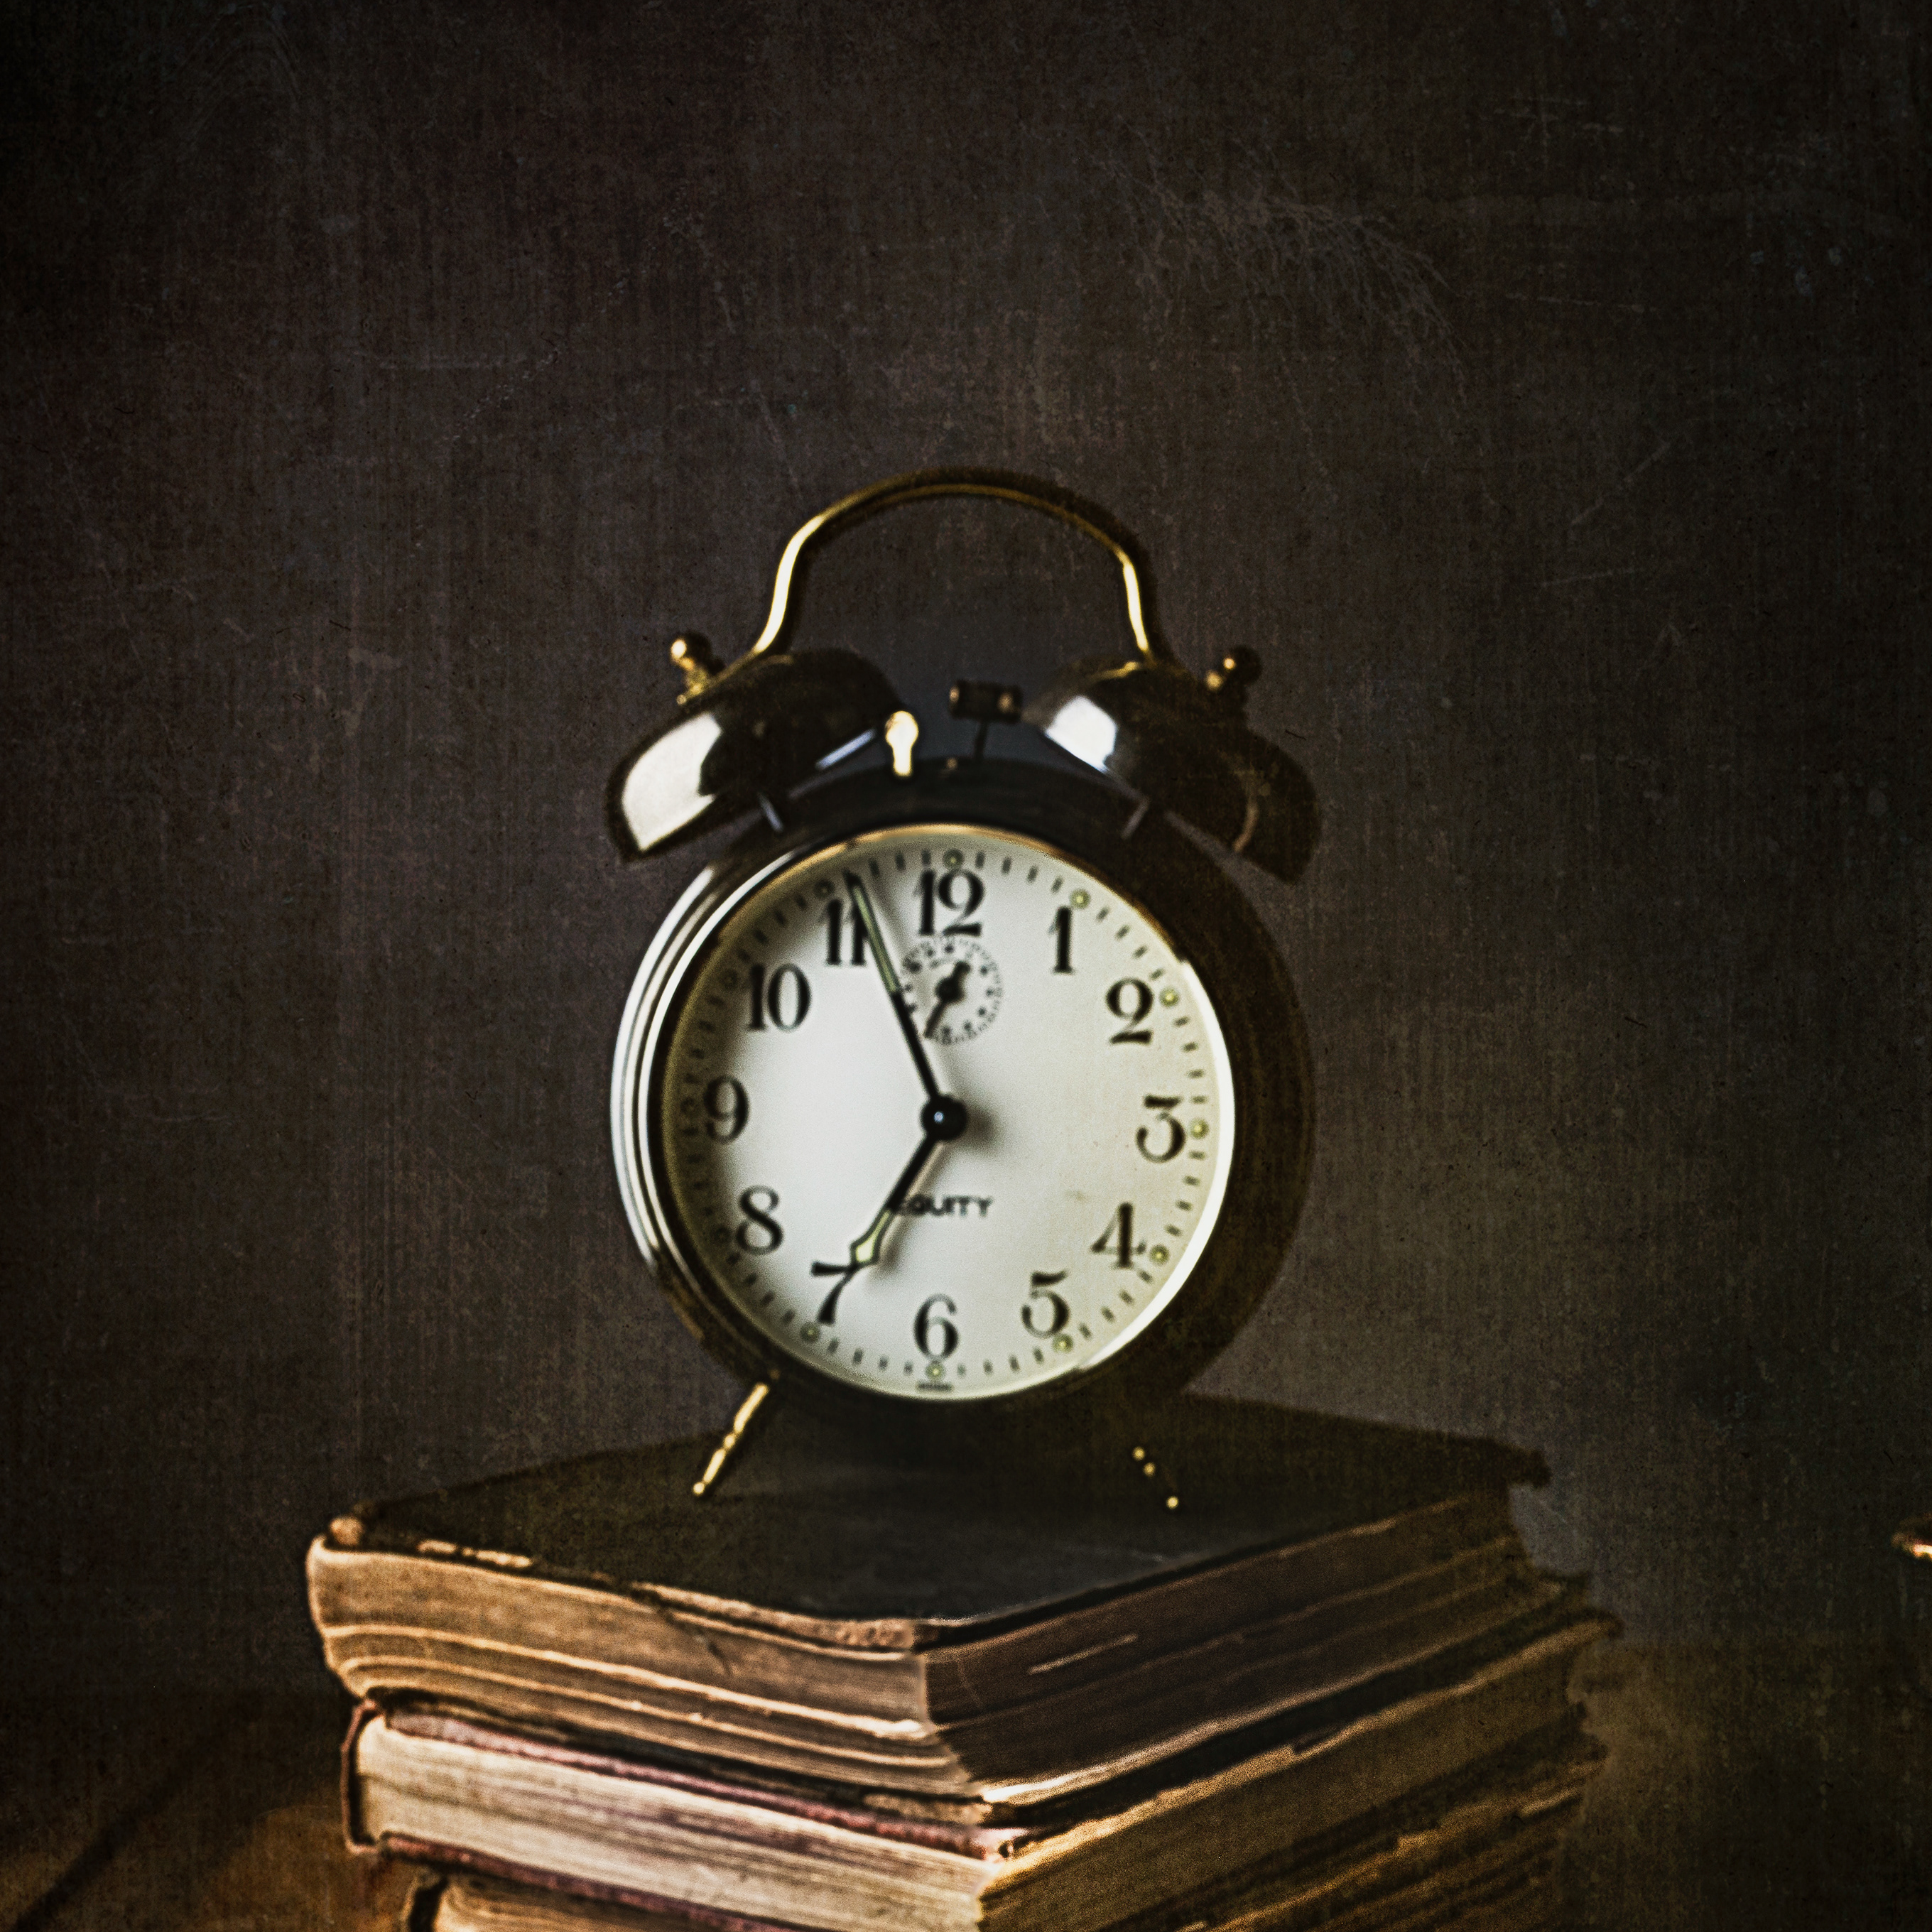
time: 6:56
